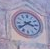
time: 3:38
